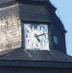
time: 5:12
